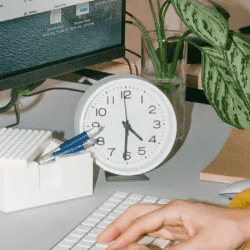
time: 4:30
